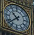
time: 10:38
